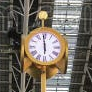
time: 5:59
